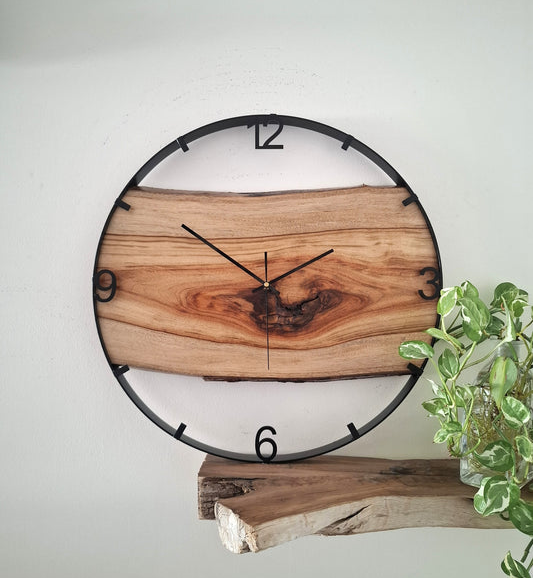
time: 1:51
